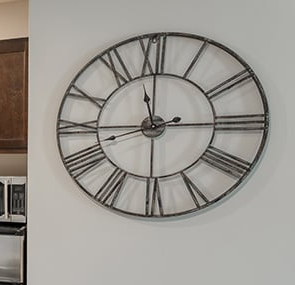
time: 11:44
